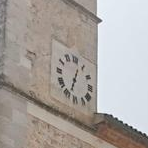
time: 12:33
